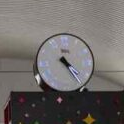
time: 4:24
